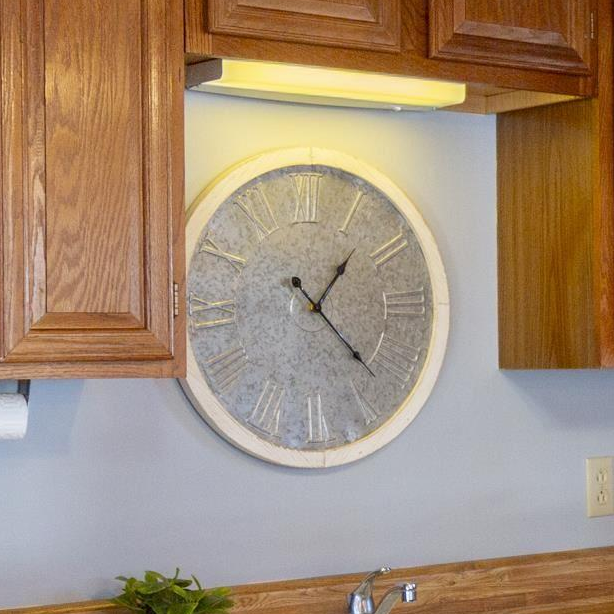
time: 1:22
